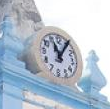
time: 11:05
